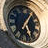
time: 5:06
